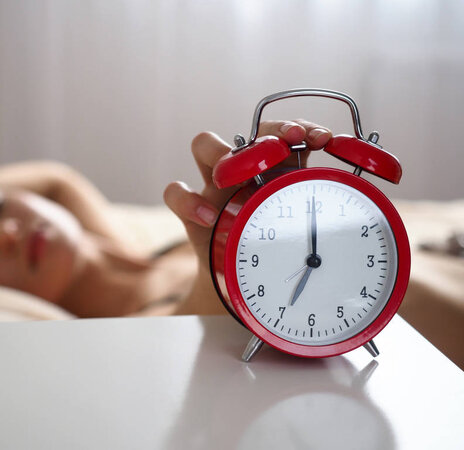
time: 7:00
